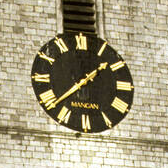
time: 1:38
